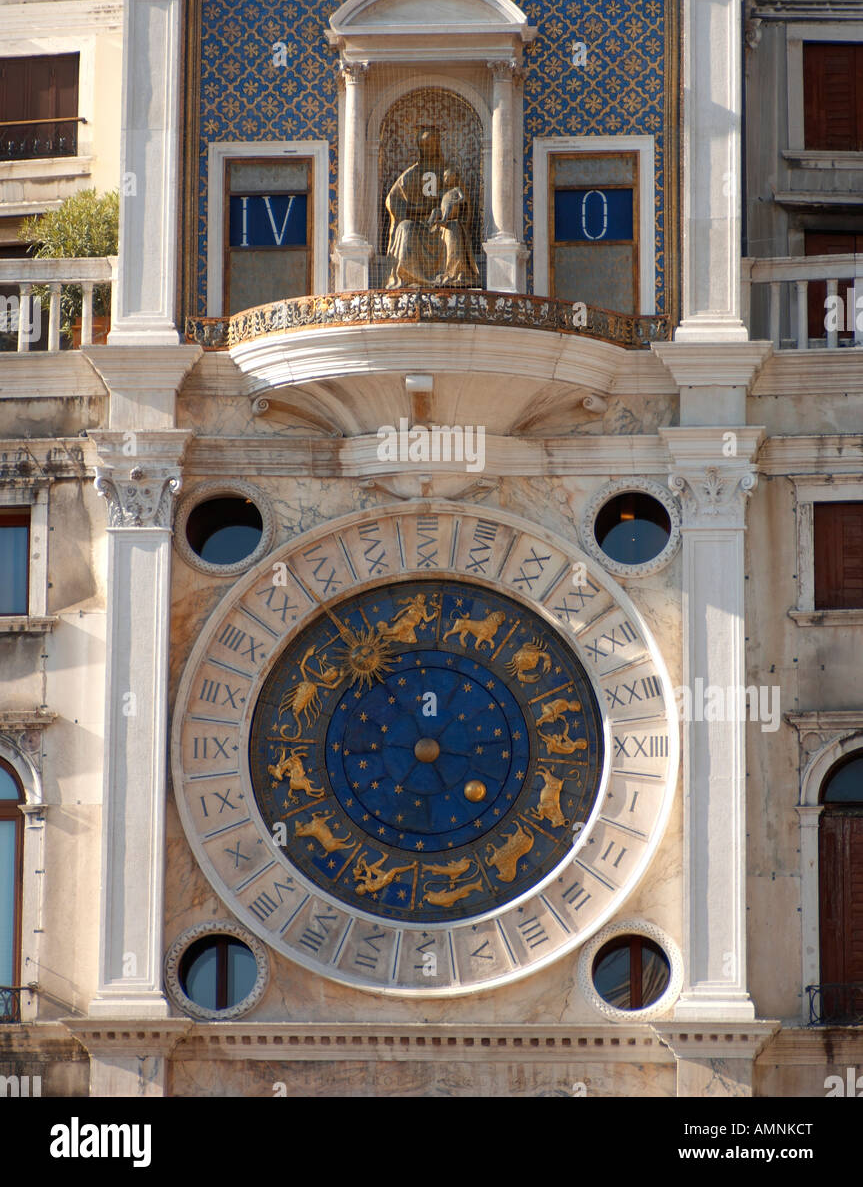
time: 12:23
